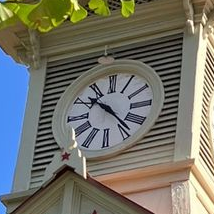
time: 10:23
